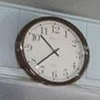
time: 10:37
